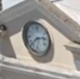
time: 2:38
